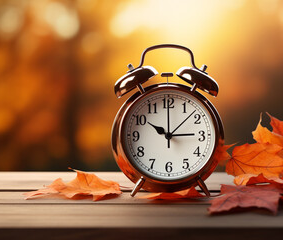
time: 10:14
